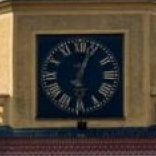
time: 6:03
